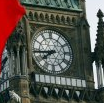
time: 7:43
